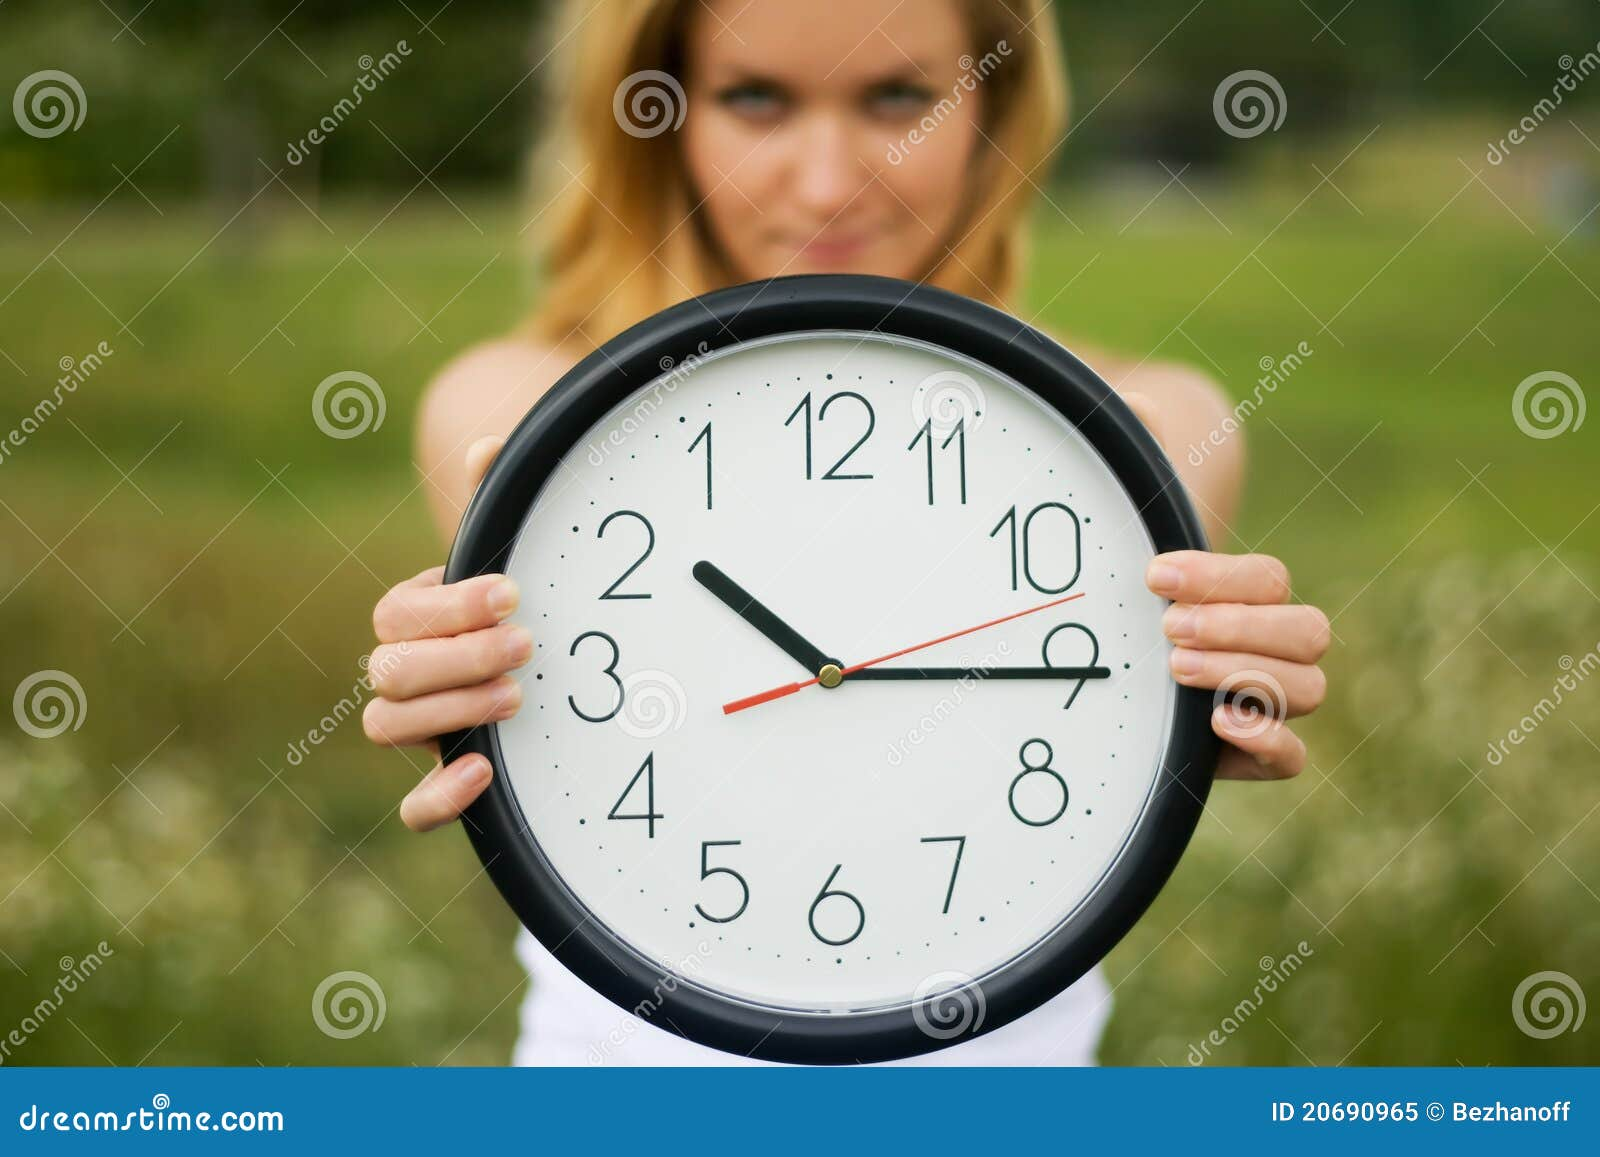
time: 10:15
